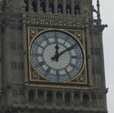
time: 12:09
